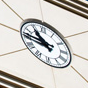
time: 10:46
